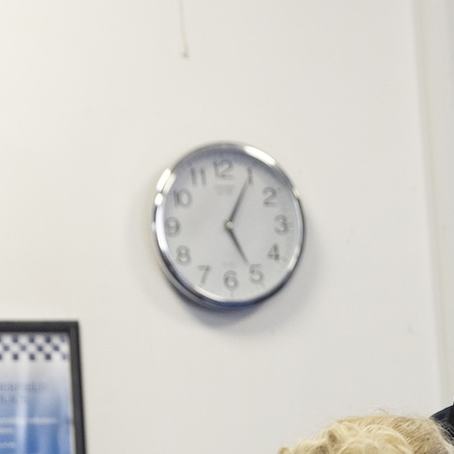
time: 5:05
